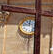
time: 11:46
